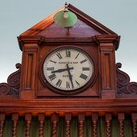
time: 8:27
